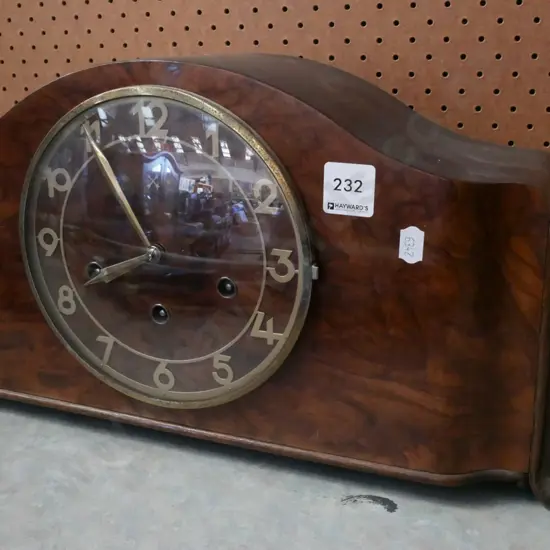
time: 7:54
